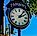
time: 2:06
